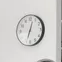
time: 12:33
